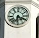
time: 6:19
